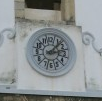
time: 1:13
